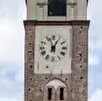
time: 12:57
